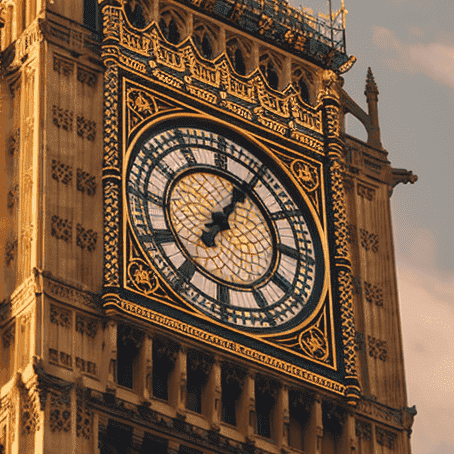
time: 1:05
